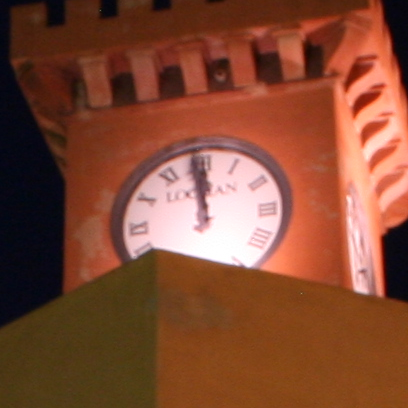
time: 11:58
